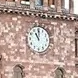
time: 11:00
